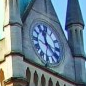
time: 11:22
